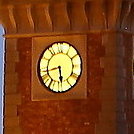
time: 5:42
